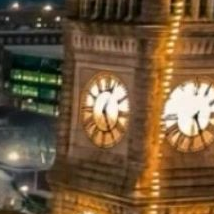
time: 5:03
